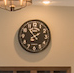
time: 1:53
